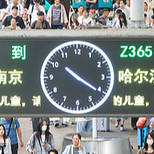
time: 10:20
